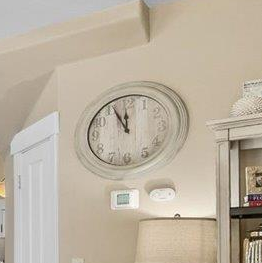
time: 11:55
